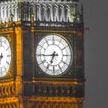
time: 6:44
